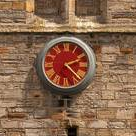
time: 2:22
